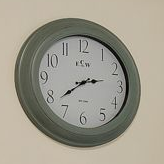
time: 2:38
